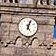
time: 5:03
